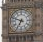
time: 6:48
